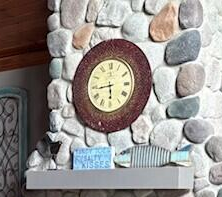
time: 5:43
